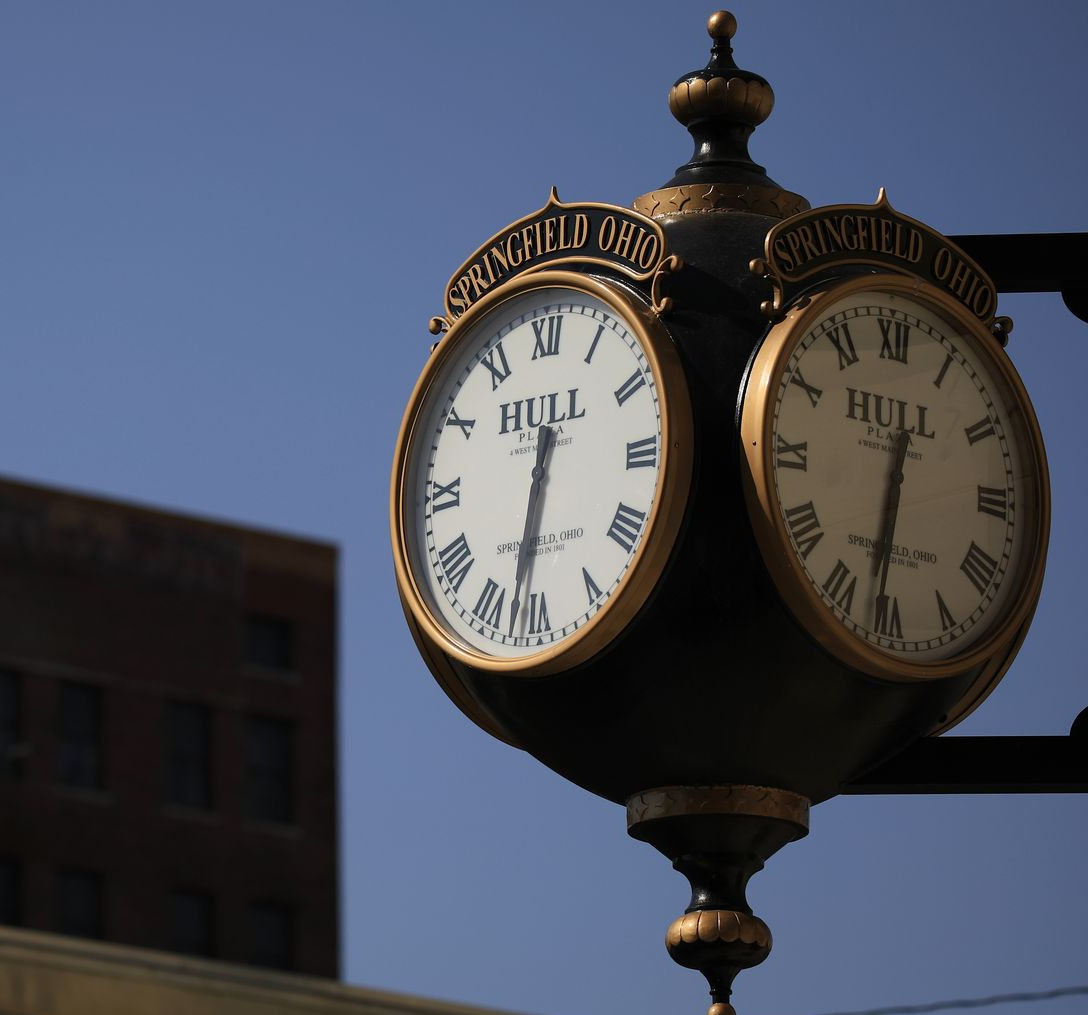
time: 6:32
